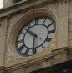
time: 10:30
